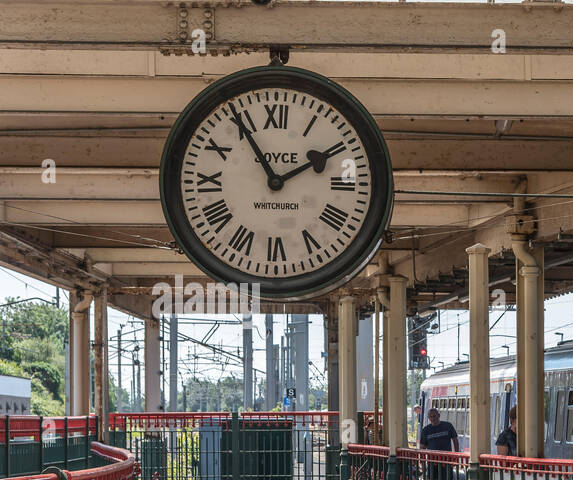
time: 1:54
